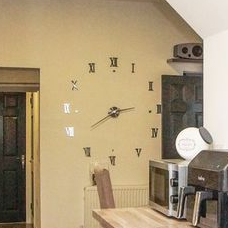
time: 2:39
